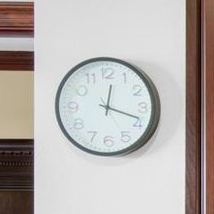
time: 12:18
